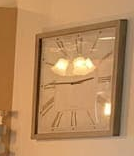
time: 2:45
